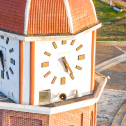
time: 5:24
